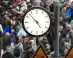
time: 4:52
